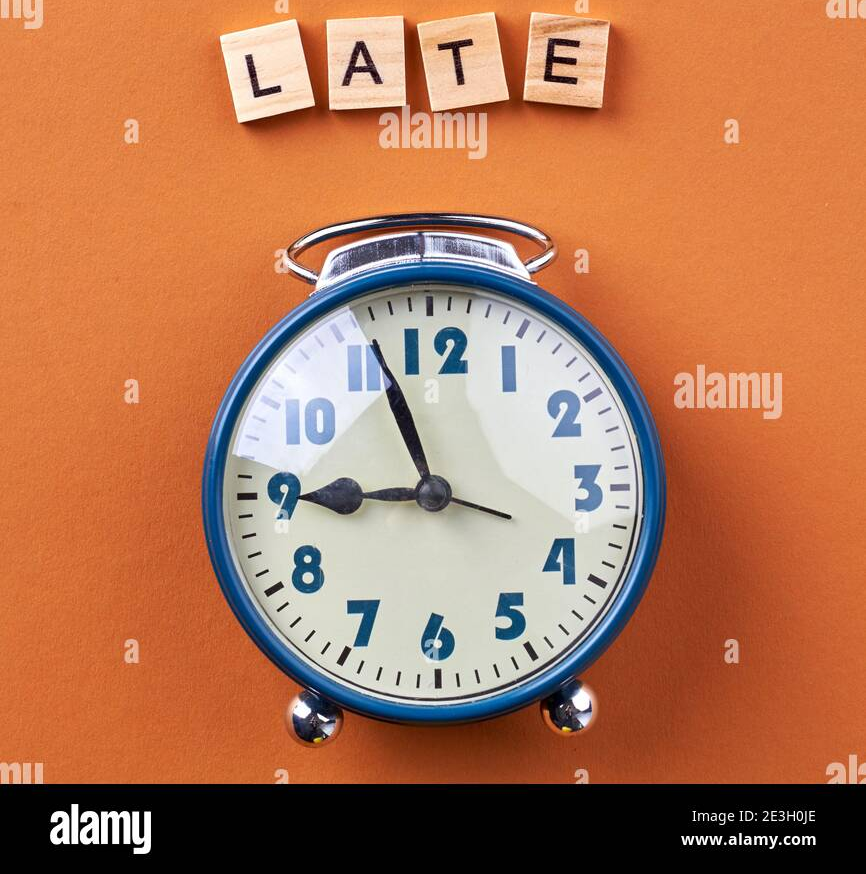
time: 8:56
